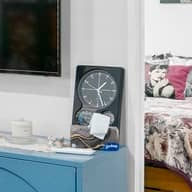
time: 1:26
